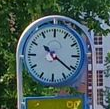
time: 10:21
